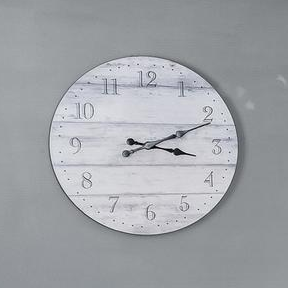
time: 3:11
